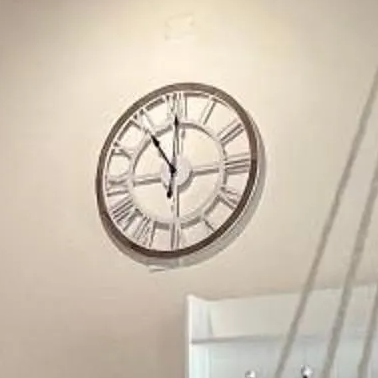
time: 11:00
